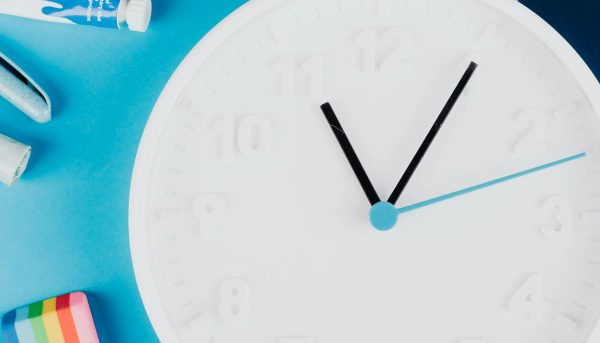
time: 11:05
